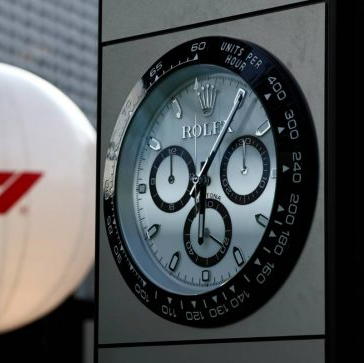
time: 6:06
